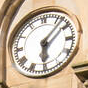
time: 6:06
